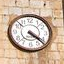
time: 4:22
